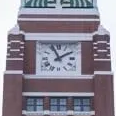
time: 1:56
